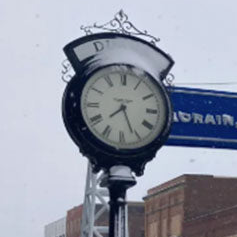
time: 7:26
